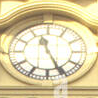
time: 11:25
